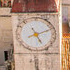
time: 5:11
